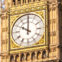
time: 10:00
